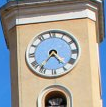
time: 4:37
